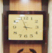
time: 2:56
